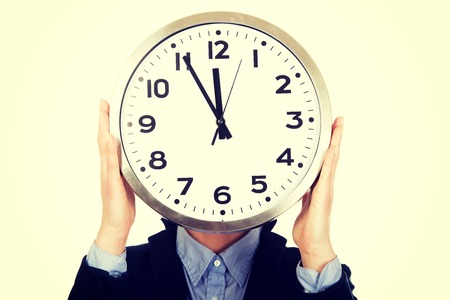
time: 11:55
